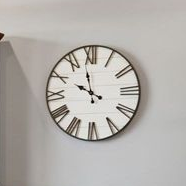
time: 9:58
